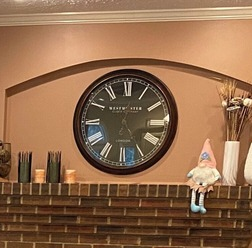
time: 12:24
